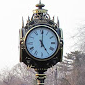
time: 5:00
